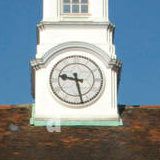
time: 9:28
